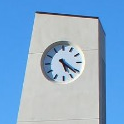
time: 5:21
